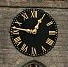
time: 12:46
